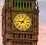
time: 9:05
